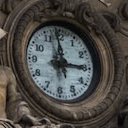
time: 2:58
